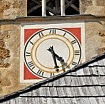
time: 4:27
